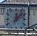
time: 12:07
